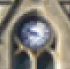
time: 9:42
